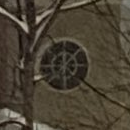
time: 12:07
